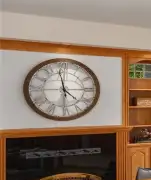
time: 3:58
